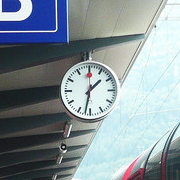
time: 1:32
